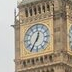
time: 12:35
